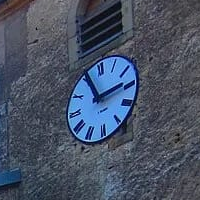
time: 11:13
